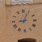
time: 9:03
